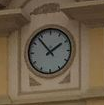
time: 1:53
